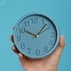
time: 10:07
